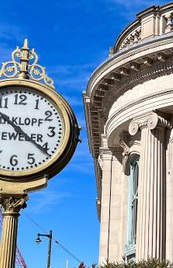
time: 10:20
